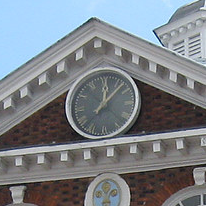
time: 12:07
